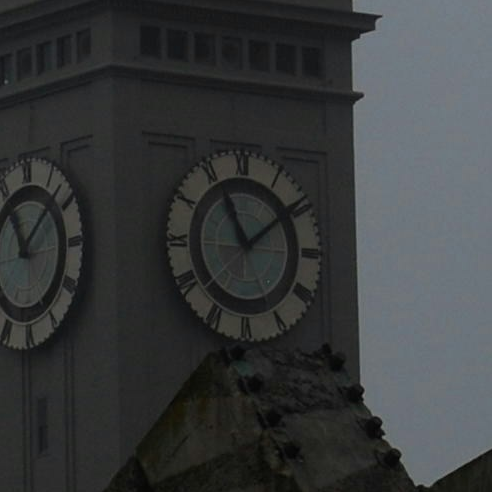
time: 11:09
